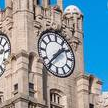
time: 1:36
